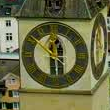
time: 5:51
